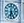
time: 6:26
